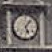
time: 5:06
